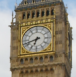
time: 6:41
